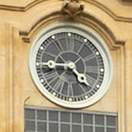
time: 4:44
